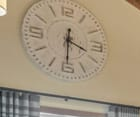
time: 3:30
